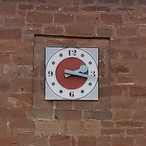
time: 2:17
